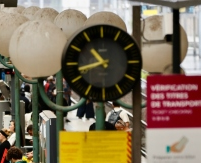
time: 10:42
